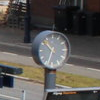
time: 10:33
